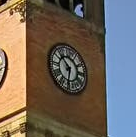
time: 10:32
